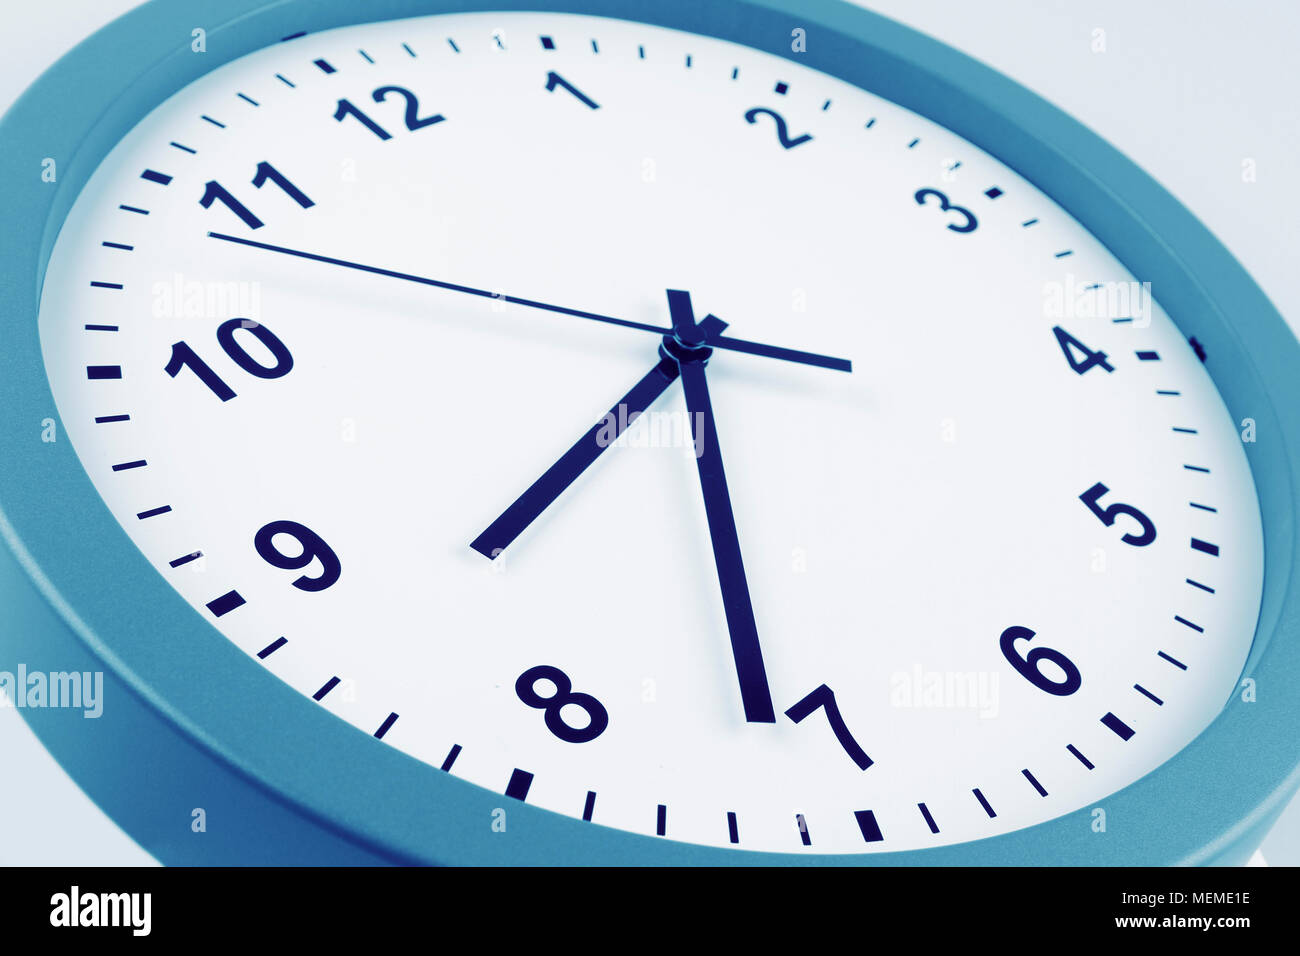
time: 7:31
